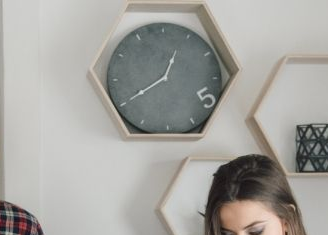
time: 12:40
